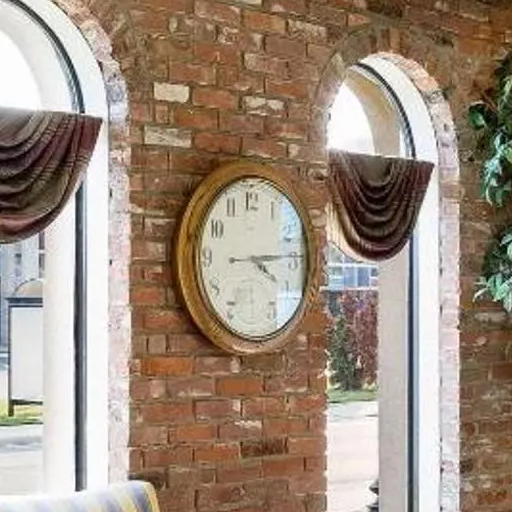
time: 4:14
